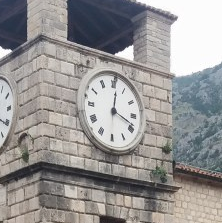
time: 12:18
